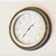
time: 1:36
